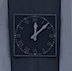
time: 12:07
